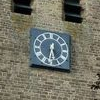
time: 5:32
